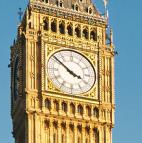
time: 3:51
